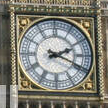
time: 2:18
